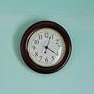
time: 4:03
